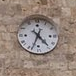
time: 4:33
